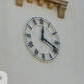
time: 12:18
